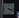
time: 4:17
